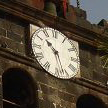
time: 10:27
